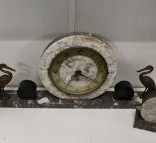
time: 7:19
